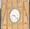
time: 9:22
